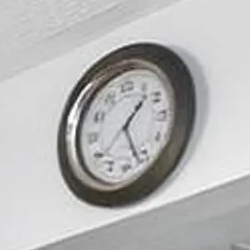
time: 1:26
